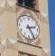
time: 2:24
